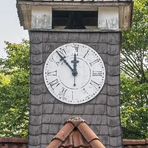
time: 11:53
